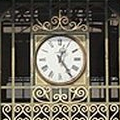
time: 12:24
